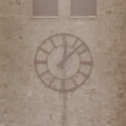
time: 12:07
